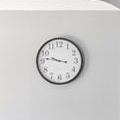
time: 9:46
